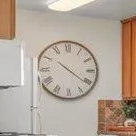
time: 10:20
